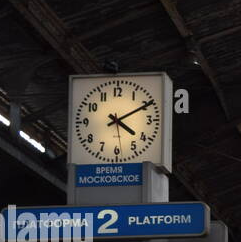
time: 4:10
